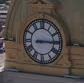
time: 3:15
